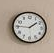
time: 1:46
